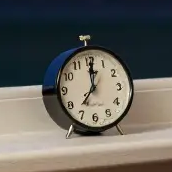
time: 7:00
